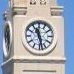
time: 11:28
